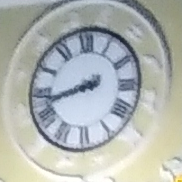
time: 8:42
